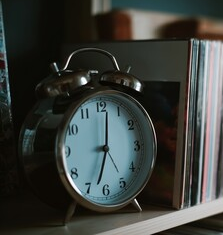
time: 9:01
